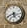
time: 5:40
